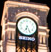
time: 6:25
